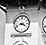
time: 3:41
